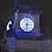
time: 6:14
